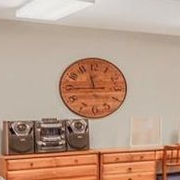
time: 11:44
